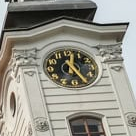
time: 12:24
